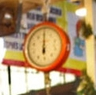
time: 5:59
